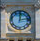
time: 12:13
